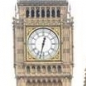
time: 12:32
